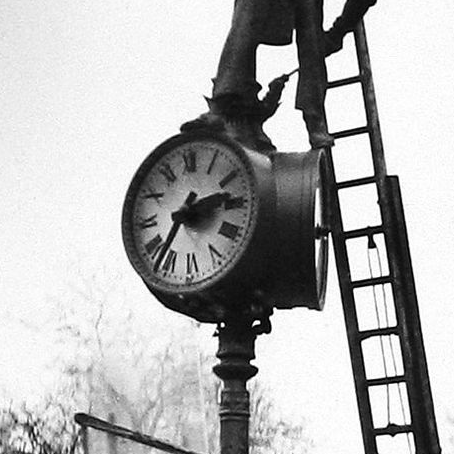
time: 2:36
